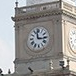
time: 2:58
